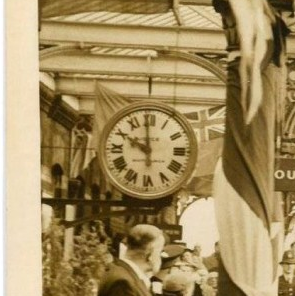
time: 9:59
